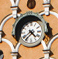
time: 4:37
